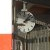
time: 2:06
